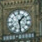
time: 1:28
